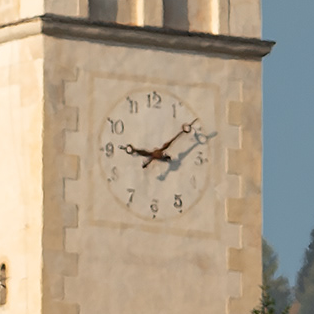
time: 9:09
